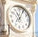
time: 11:04
